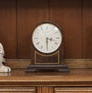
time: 3:29
